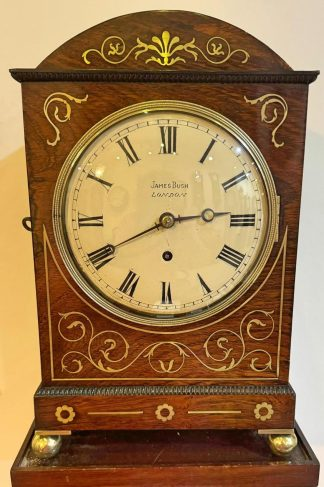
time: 2:40
